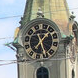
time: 1:26
